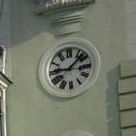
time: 9:07
